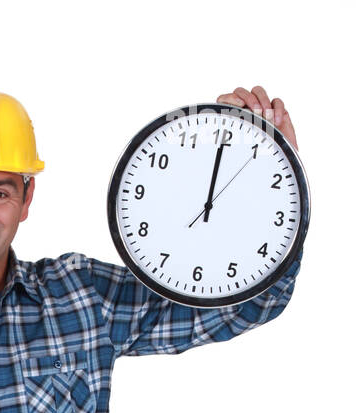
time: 12:00
